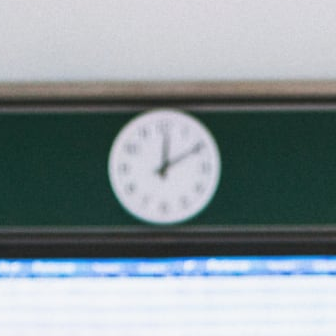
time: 12:09
